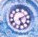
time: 5:10
